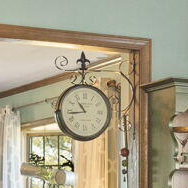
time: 10:43
